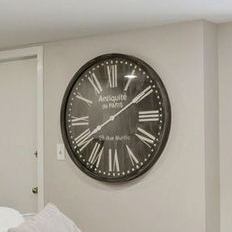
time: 8:09
